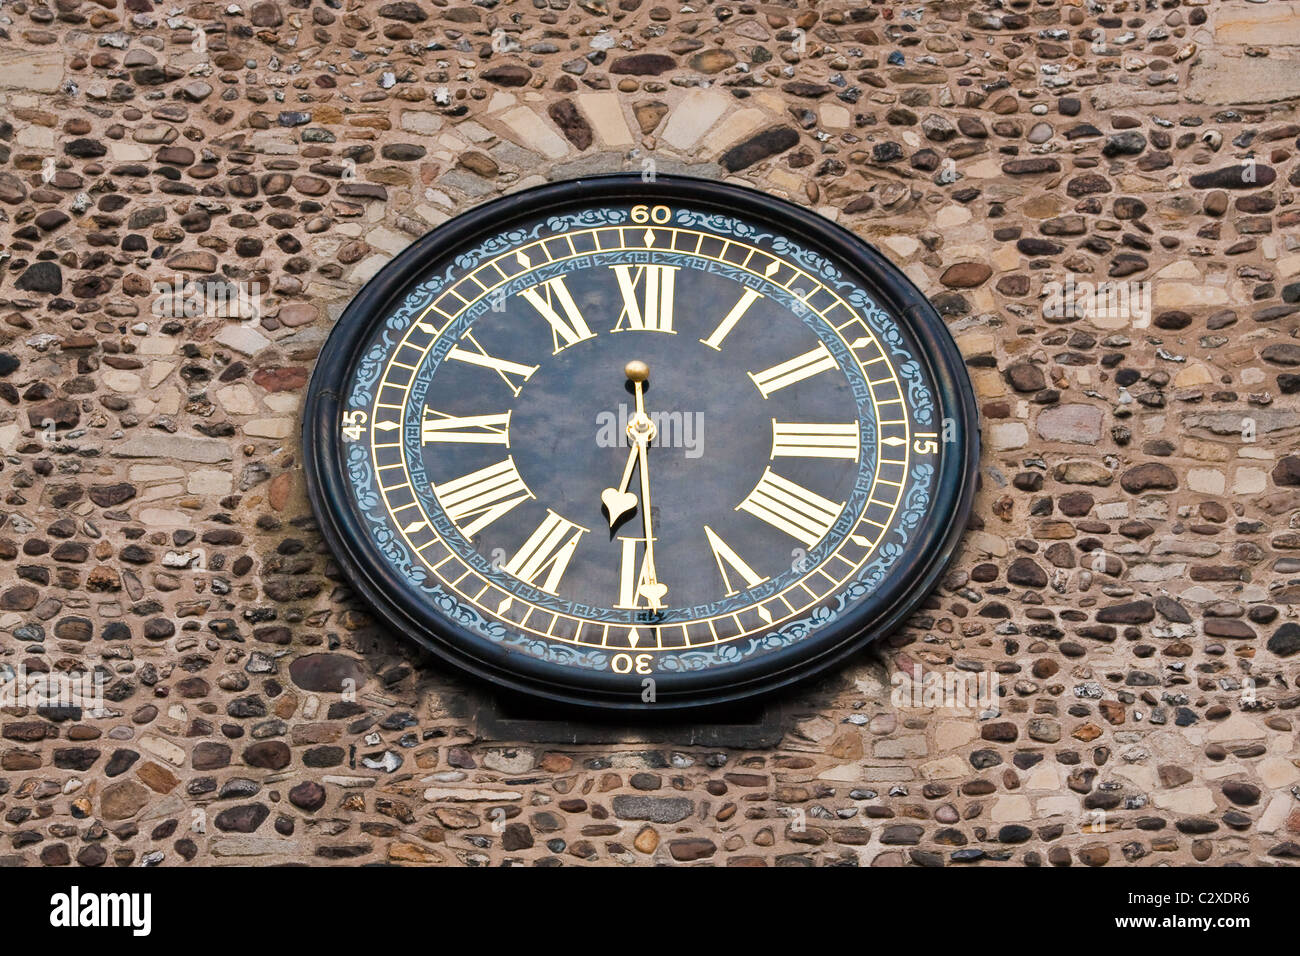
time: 6:29
